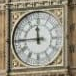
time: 11:45
